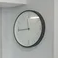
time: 11:44
